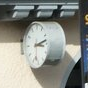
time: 3:12
